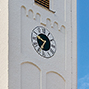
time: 9:36
